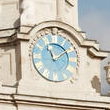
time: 11:09
